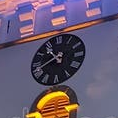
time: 10:41
